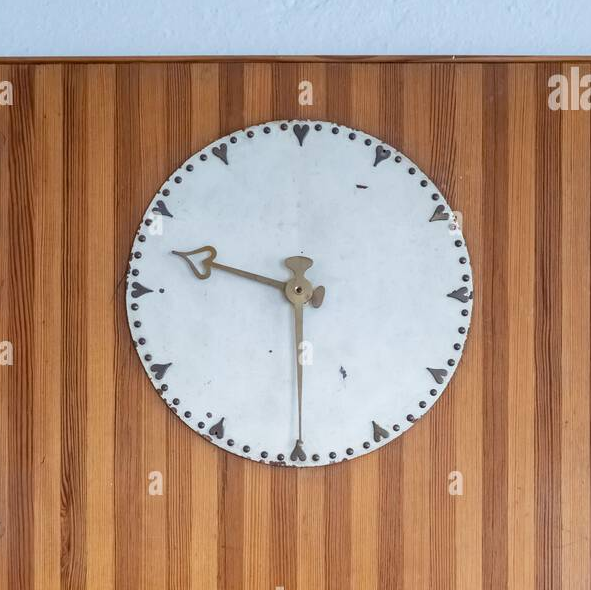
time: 9:29
